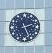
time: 2:26
